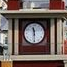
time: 11:29
